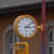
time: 3:08
